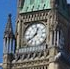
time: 12:38
